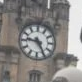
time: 9:25
